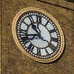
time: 10:41
